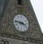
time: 3:46
